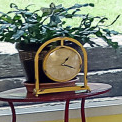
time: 1:18
